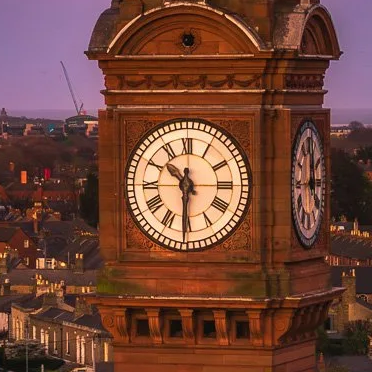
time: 10:30
